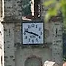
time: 3:47
